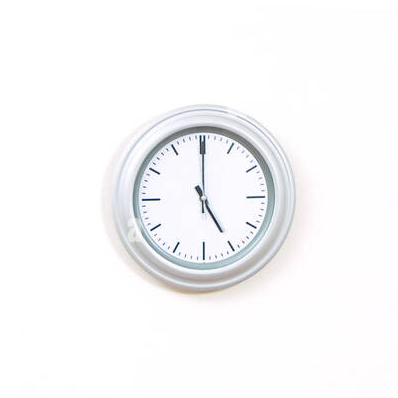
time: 5:00
